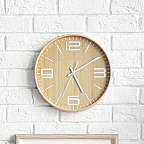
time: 5:09
